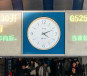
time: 4:10
